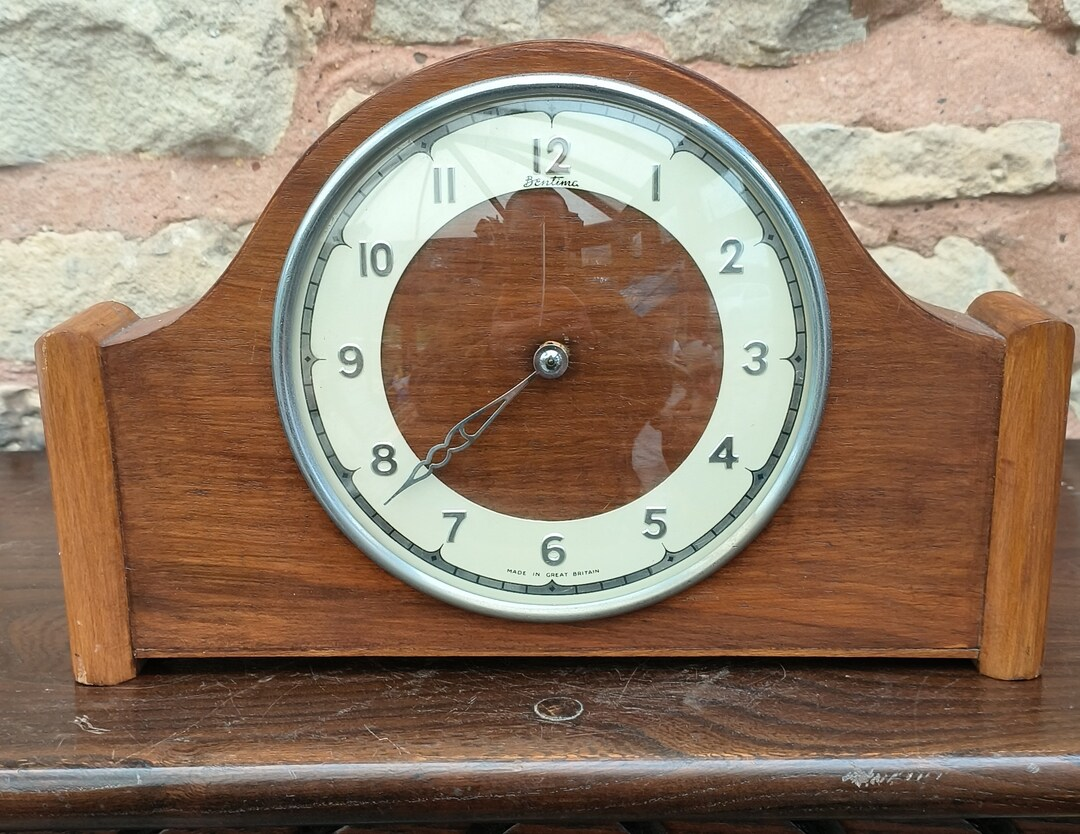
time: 7:38
